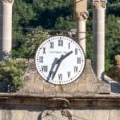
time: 1:33
